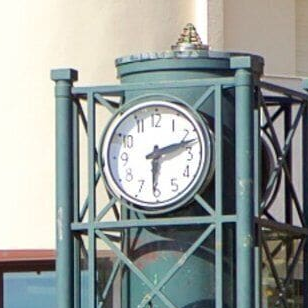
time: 6:12
